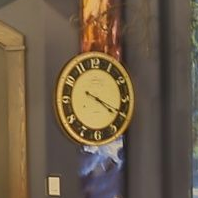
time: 4:20
